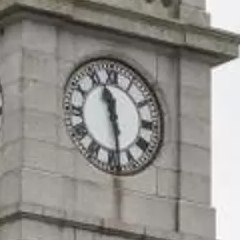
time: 11:28
